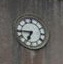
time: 6:44
